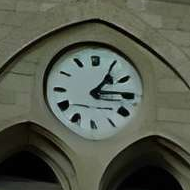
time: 1:14
